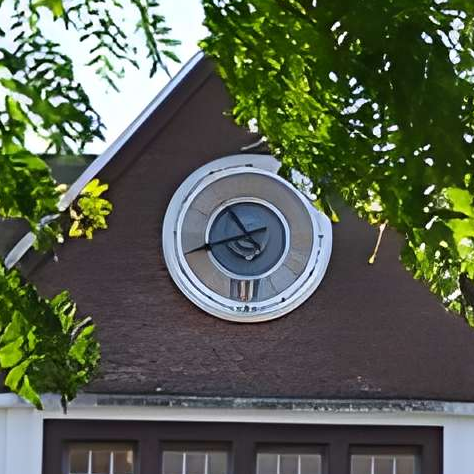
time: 10:42
